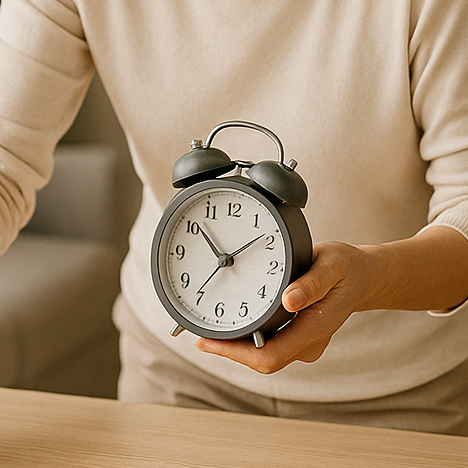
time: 1:51
